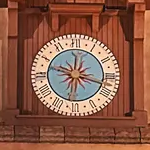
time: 12:17
